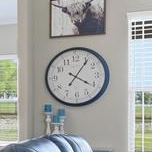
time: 4:06
